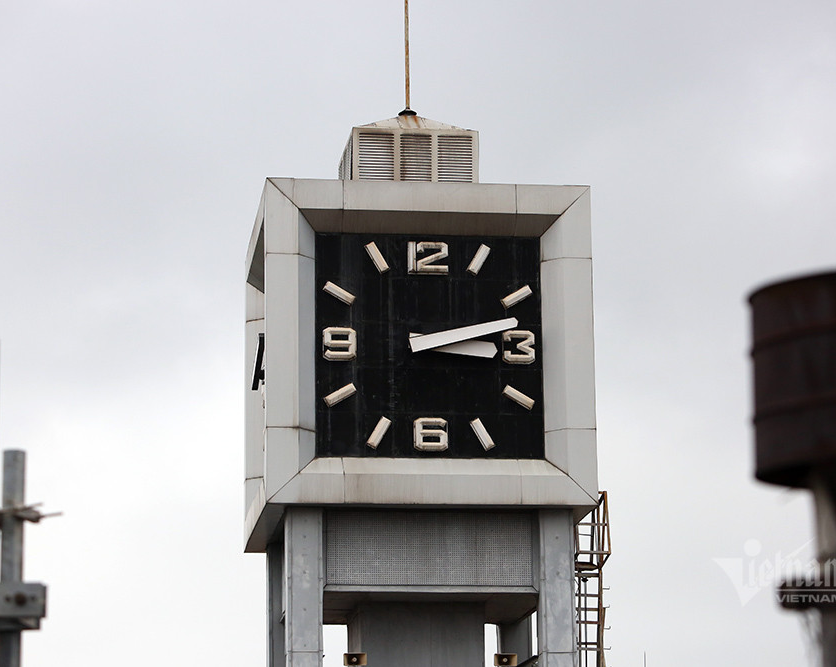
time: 3:12
